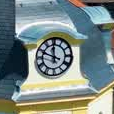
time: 11:48
